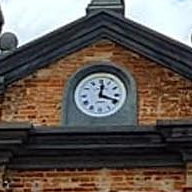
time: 12:18
